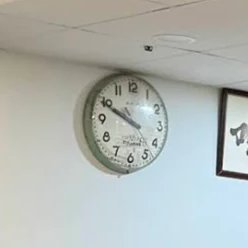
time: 9:49
